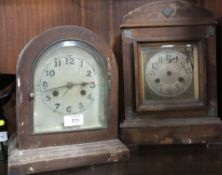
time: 2:42
